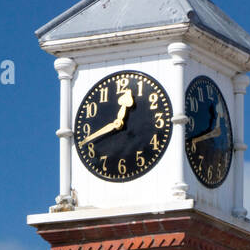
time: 12:42
